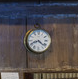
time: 8:21
